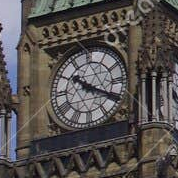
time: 10:19
